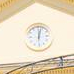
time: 12:02
